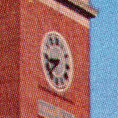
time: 8:38
